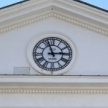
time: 2:56
